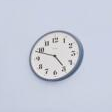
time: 4:48
